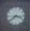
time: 3:39
